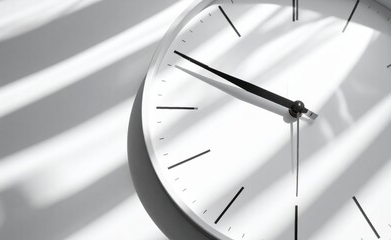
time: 9:49
